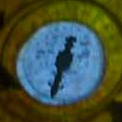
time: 12:32
